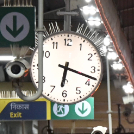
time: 6:17
